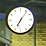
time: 7:06
